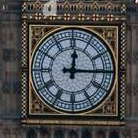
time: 12:15
